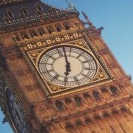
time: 5:57
